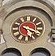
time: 5:18
